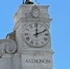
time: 12:11
